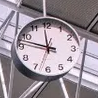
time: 11:47
